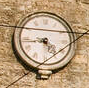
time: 4:43
